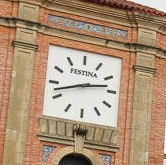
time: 2:42
